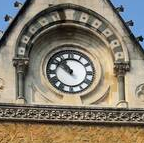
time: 10:51
